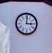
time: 3:01
